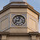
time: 9:02
